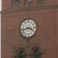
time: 3:43
